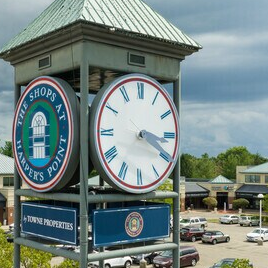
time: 3:19
